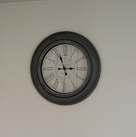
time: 2:56
